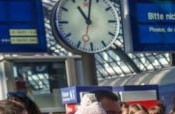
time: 11:02
